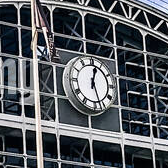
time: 12:26
